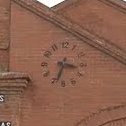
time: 3:33
